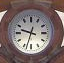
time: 9:33
